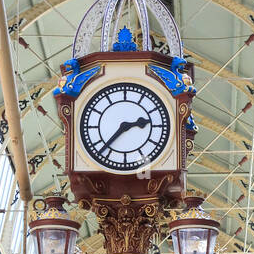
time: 2:37
